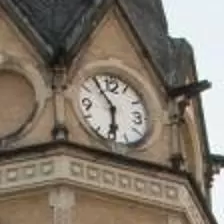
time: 5:54
